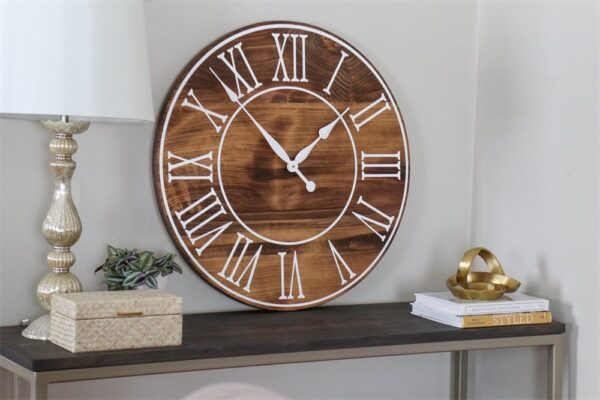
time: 1:53
